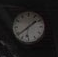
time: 1:38
